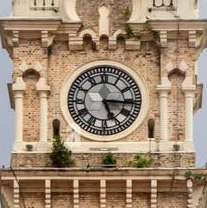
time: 5:15
